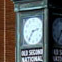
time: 2:36
